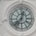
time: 12:37
